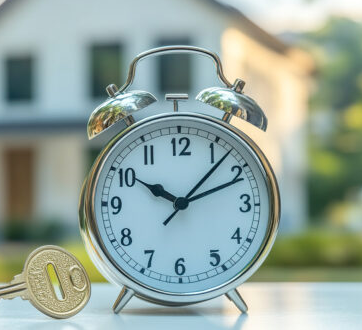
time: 10:07
